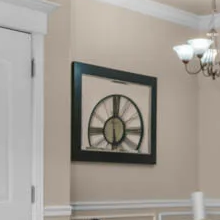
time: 5:59
